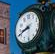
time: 8:41
